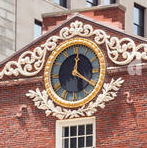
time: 12:20
